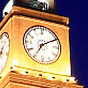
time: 7:09
